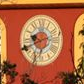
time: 9:41
